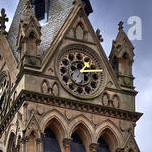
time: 1:14
